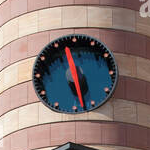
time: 11:27
